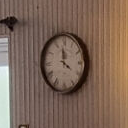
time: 3:58
